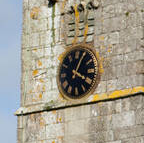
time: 4:04
